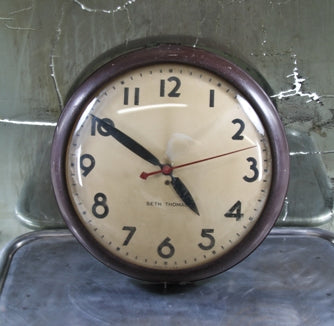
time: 4:50
